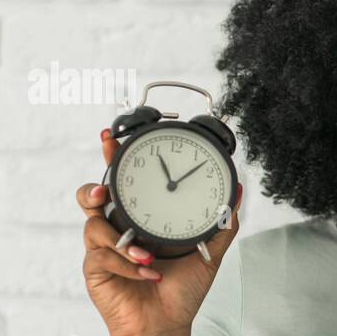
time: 11:08
